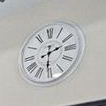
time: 2:30
